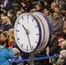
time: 10:26
